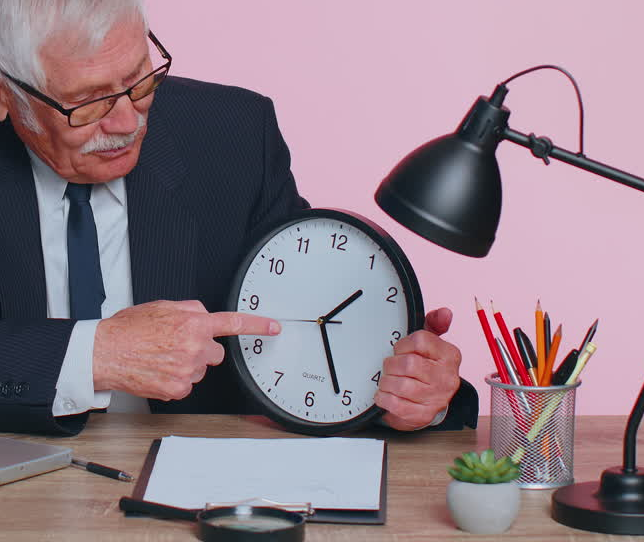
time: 1:25
